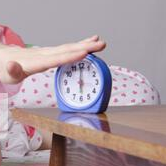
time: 6:00
